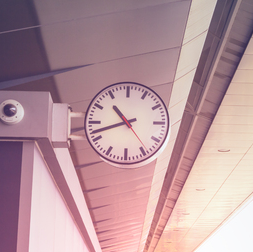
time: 10:42
